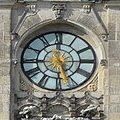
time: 5:14
